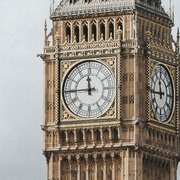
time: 11:44
